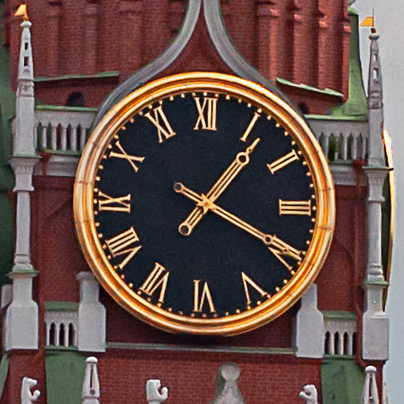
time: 1:19
